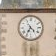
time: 4:35
